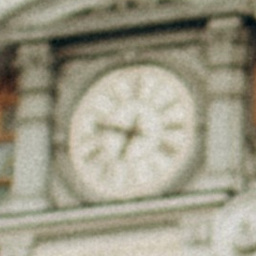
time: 6:47
